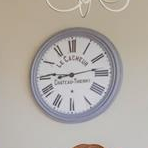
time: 9:13
